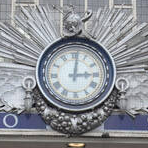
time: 3:01
